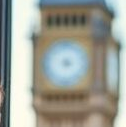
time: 4:12
